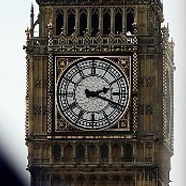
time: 2:18
